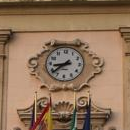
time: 8:38
